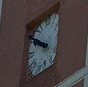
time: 9:50
